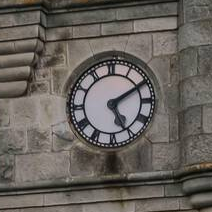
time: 5:10
